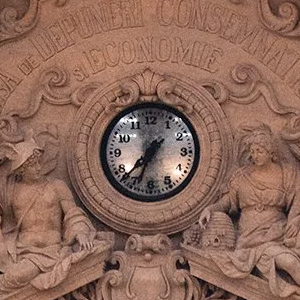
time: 6:37
